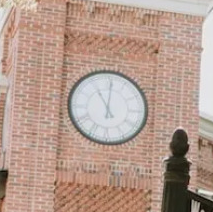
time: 11:00
